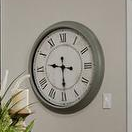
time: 9:29
